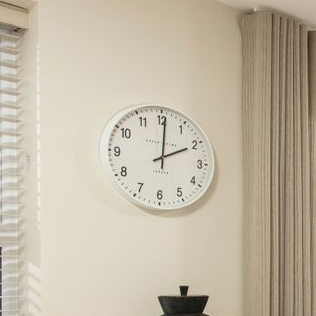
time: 2:00
